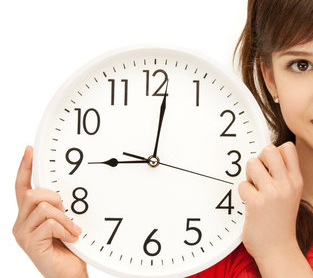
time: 9:01
